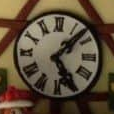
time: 5:07
